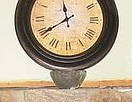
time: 11:40
